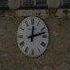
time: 12:12
